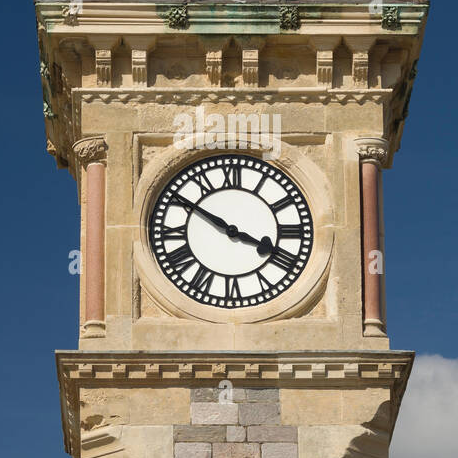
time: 3:50
